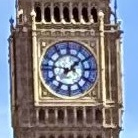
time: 1:46
